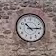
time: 10:14
